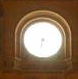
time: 6:32
